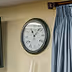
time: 11:07
